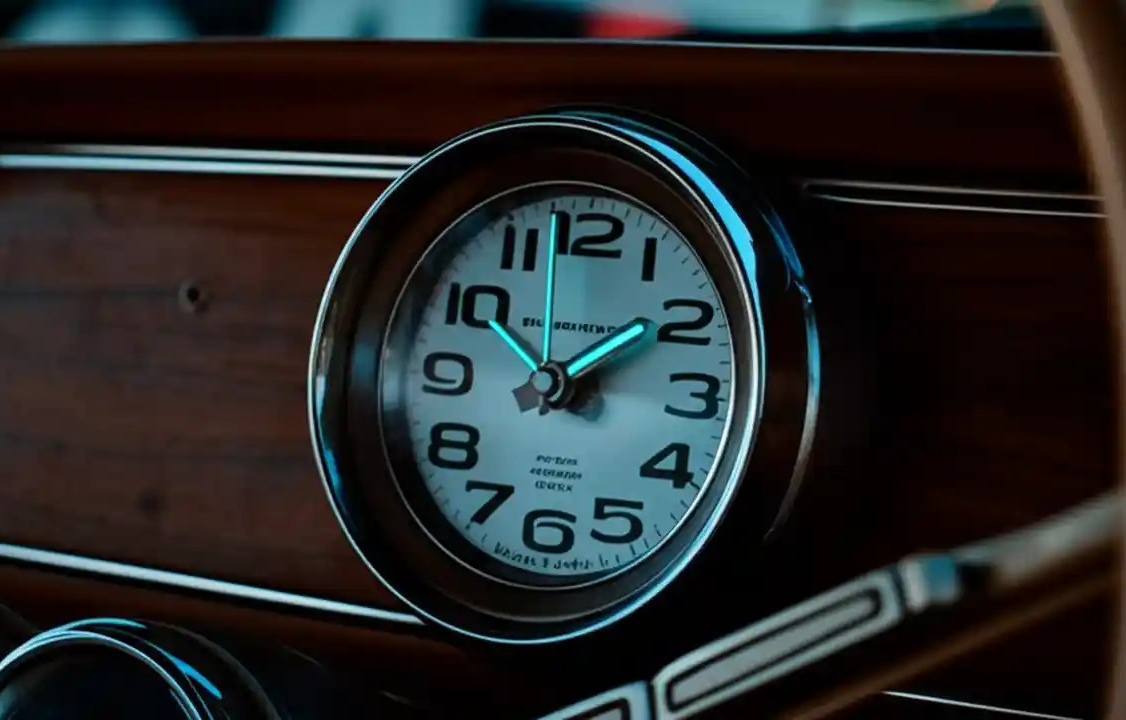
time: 1:50
